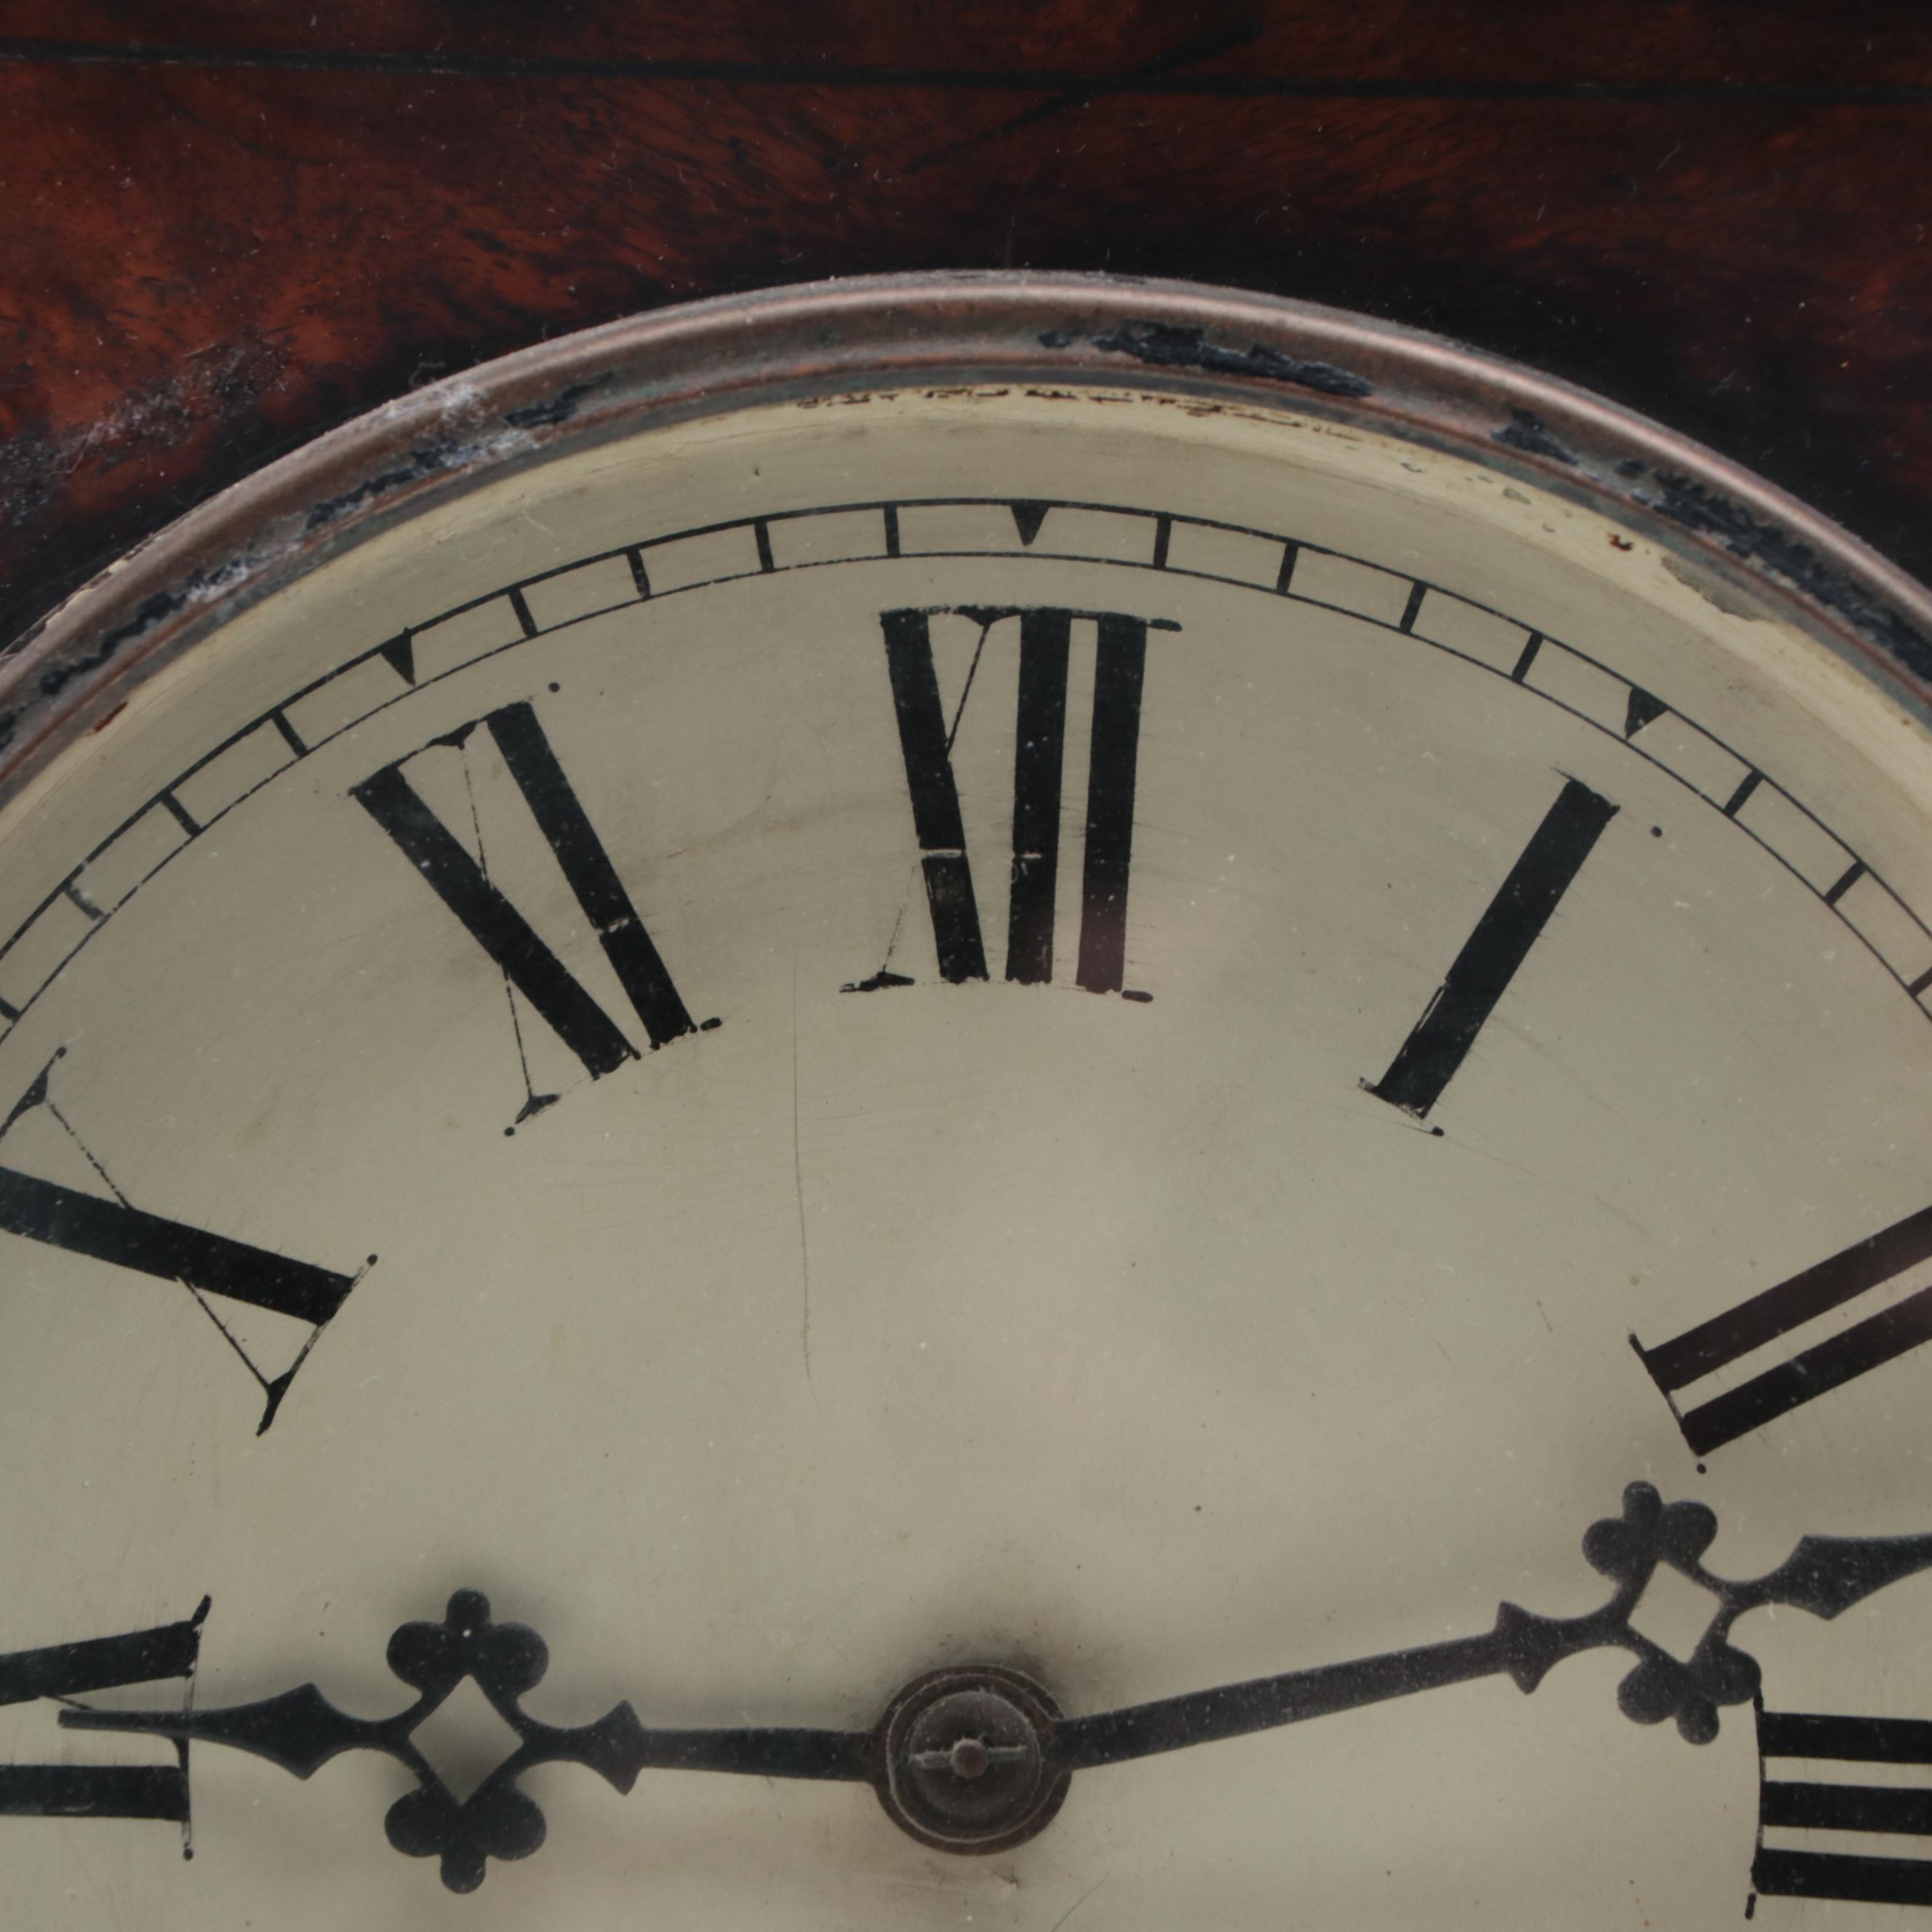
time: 9:12
